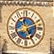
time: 2:24
